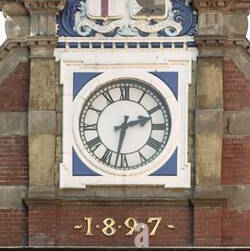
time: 2:32
